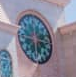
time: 6:14
